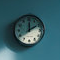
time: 12:09
